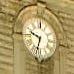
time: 9:33
